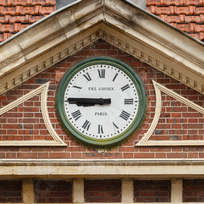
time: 8:45
